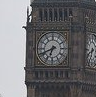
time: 6:41
